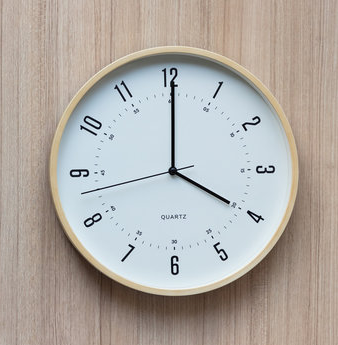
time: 4:00
